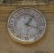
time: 1:18
